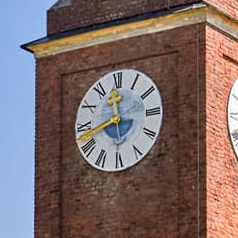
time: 11:42
